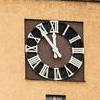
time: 11:53
